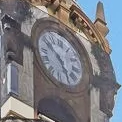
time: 4:50
